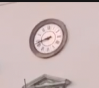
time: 8:42
